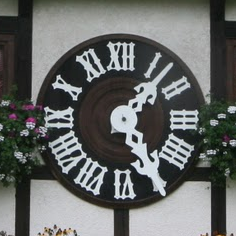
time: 1:24
